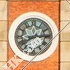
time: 8:14
